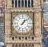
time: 1:08
